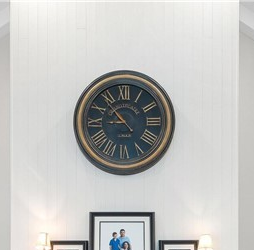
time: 8:53
